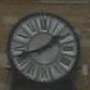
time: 1:42
